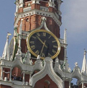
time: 10:32
